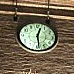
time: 12:28
